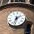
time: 1:32
